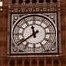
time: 11:38
